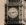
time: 2:43
